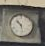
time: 10:28
